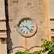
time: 9:23
